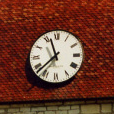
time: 11:37
